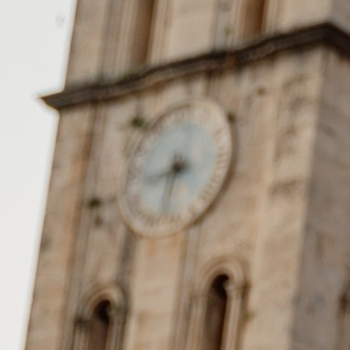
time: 8:32
